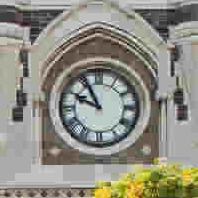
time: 9:55
